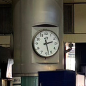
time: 2:27
